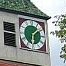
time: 6:08
